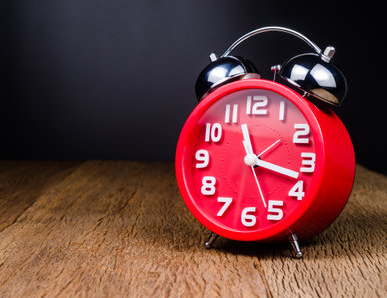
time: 11:18
